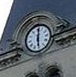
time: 6:01
